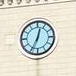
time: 12:34
